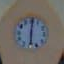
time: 6:00
